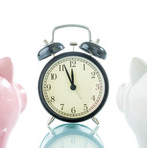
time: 11:56
